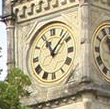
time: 11:07
